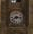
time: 8:16
